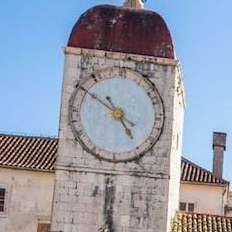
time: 4:50
